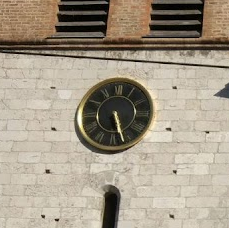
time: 5:26
